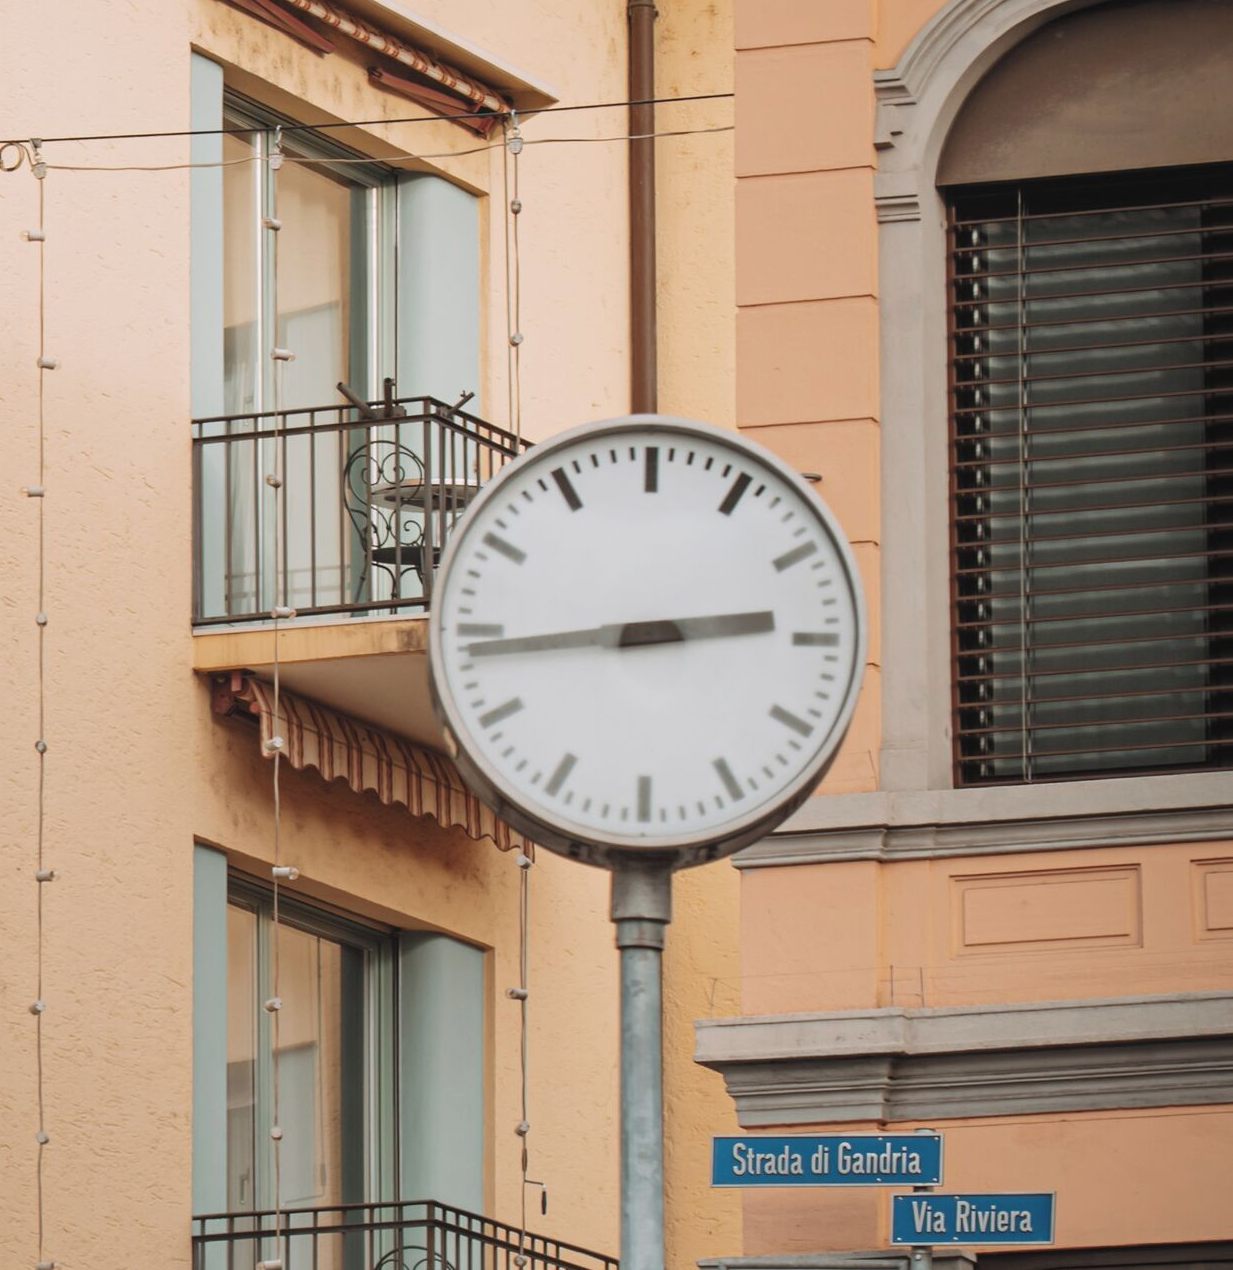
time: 2:43
